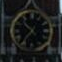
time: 10:36
